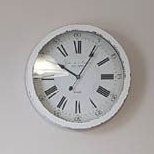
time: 10:05
